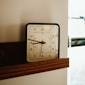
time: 8:47
